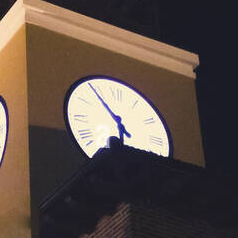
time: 5:54
